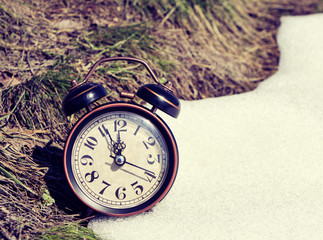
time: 11:55
